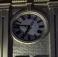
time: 6:46
